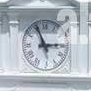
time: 2:56
